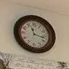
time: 11:17
